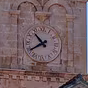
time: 10:39
